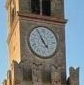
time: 4:55
